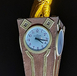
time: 4:17
